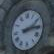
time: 2:14
